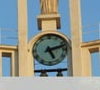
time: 5:12
